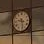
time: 9:28
